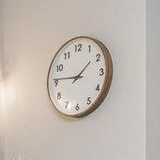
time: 1:46
